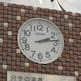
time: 2:13
